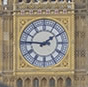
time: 1:46
